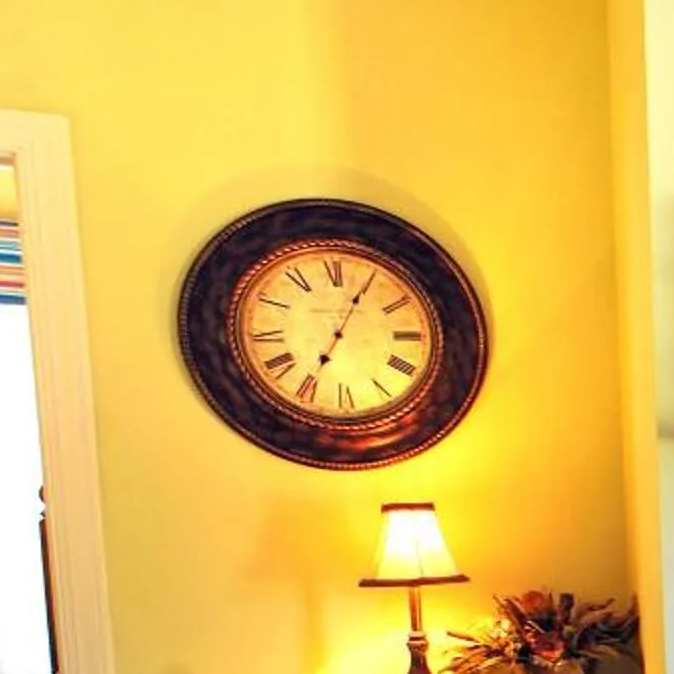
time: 7:04
